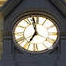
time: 6:58
